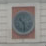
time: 10:28
